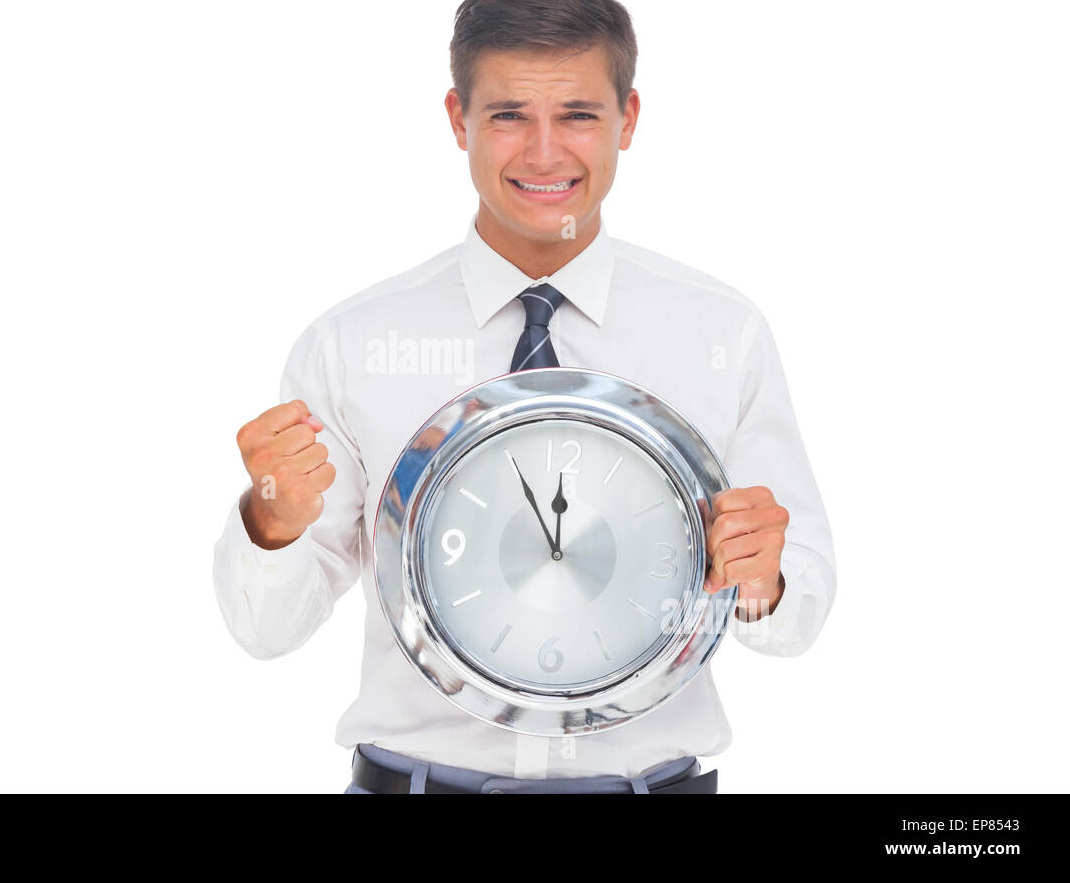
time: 11:55
